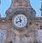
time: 11:41
